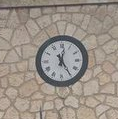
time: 12:24
